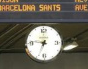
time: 6:46
